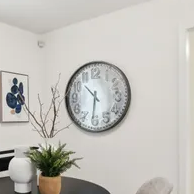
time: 10:31
